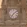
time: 7:08
